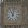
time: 11:02
